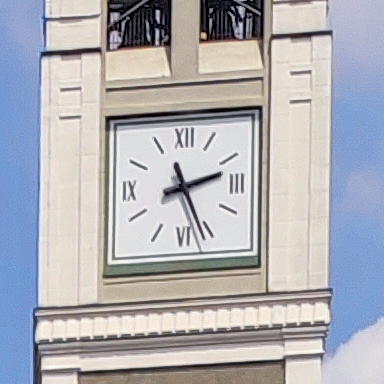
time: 2:26
